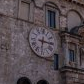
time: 6:15
